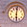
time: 6:01
